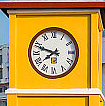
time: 7:48
